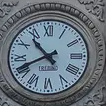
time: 10:41
